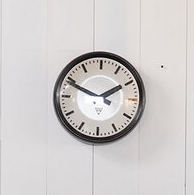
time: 1:49
